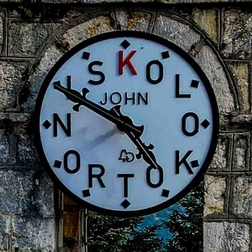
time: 4:49
